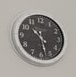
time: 10:28
